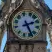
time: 2:25
